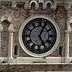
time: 5:04
